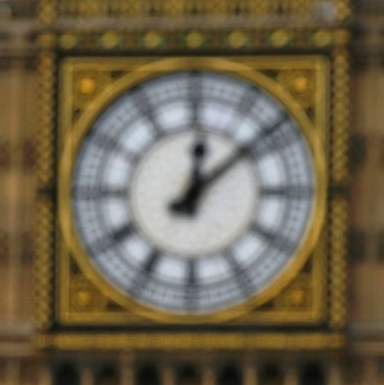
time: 12:08
